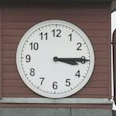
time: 3:14
